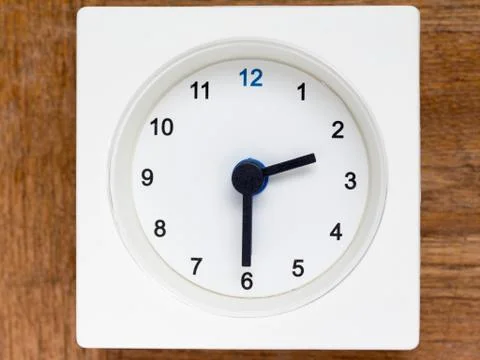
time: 2:29
